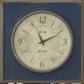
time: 11:10
